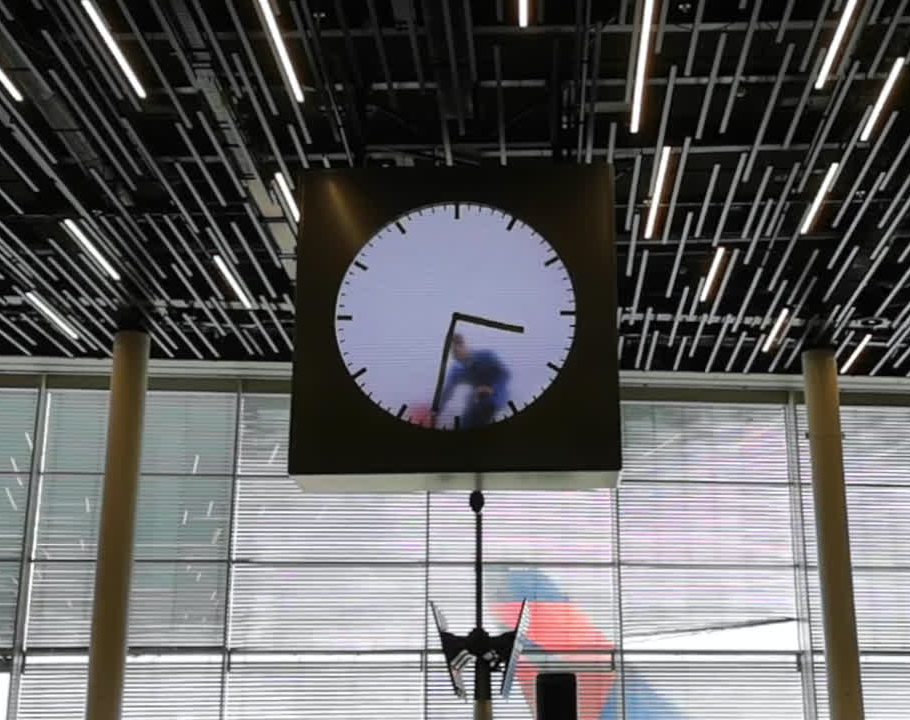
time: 3:32
